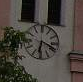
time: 6:18
